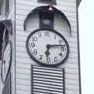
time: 6:13
